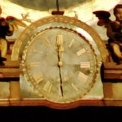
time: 3:29
